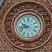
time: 9:42
